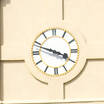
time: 3:48
